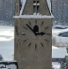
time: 2:53
